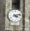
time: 4:12
